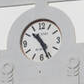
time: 10:26
